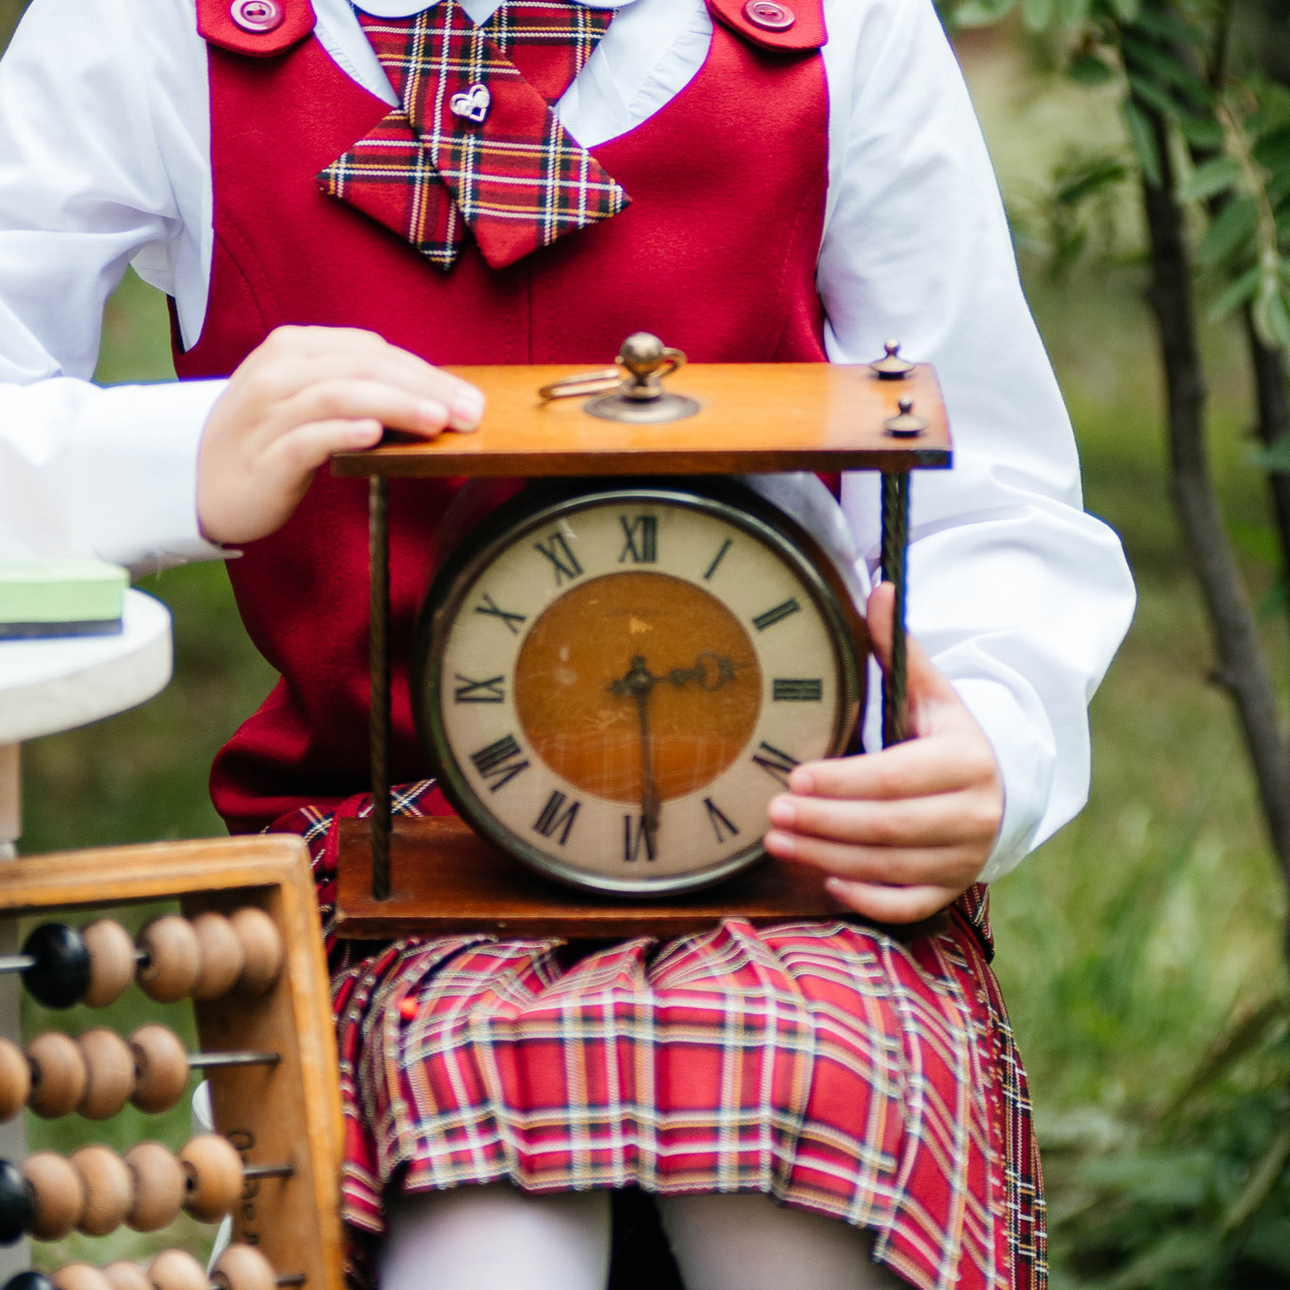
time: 2:29
